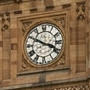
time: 3:49
